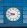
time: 9:42
